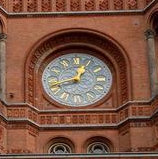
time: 12:42
